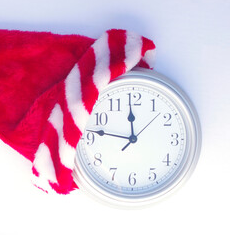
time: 11:46
